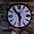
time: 10:30
